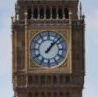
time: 1:07
